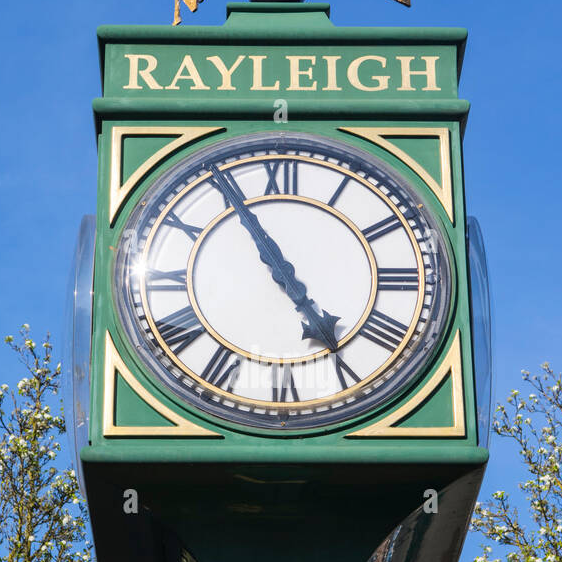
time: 4:54
